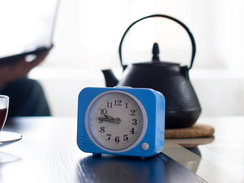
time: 9:45
